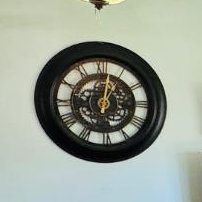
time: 1:01
